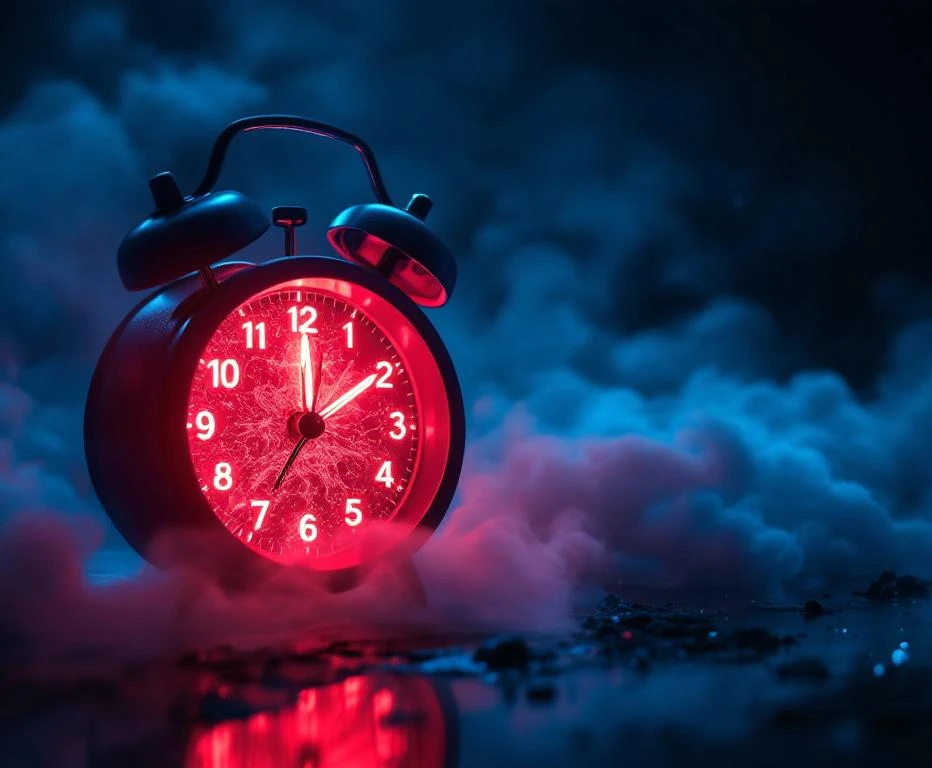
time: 2:00
